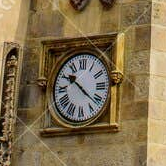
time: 10:21
